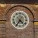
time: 4:35
